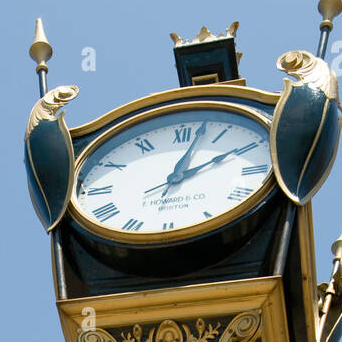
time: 2:02
